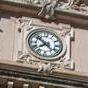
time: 7:51
